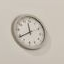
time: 11:39
